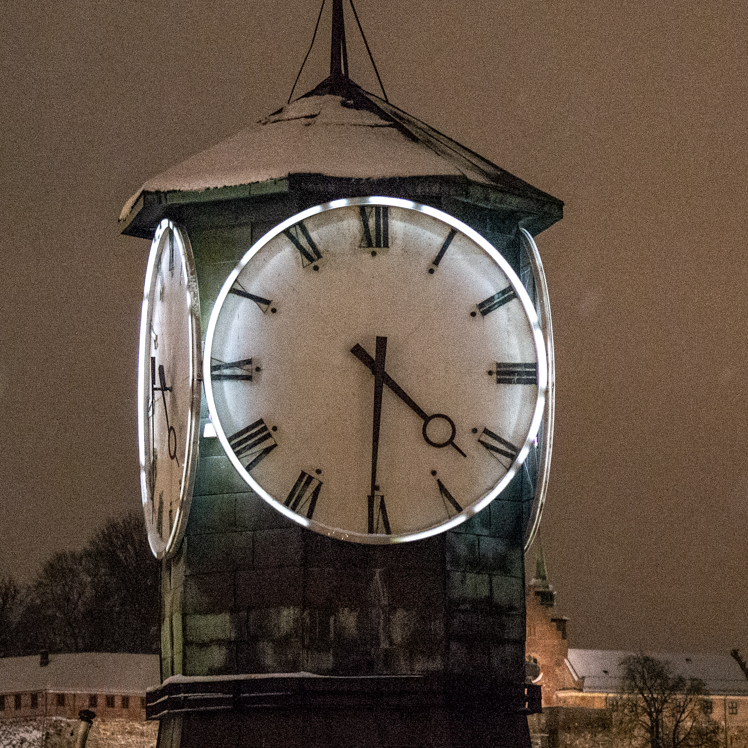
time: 4:30
